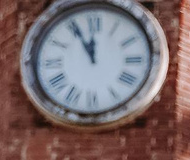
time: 11:55
